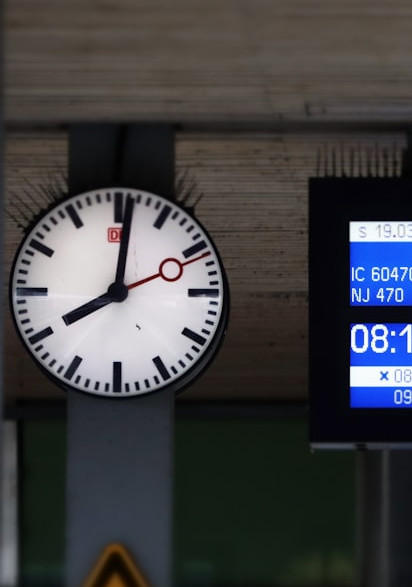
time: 8:01
